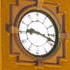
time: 9:18
